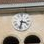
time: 3:32
